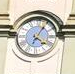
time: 4:04
